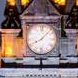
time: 8:07
